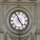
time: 4:56
